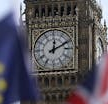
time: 12:10
